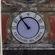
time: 10:54
